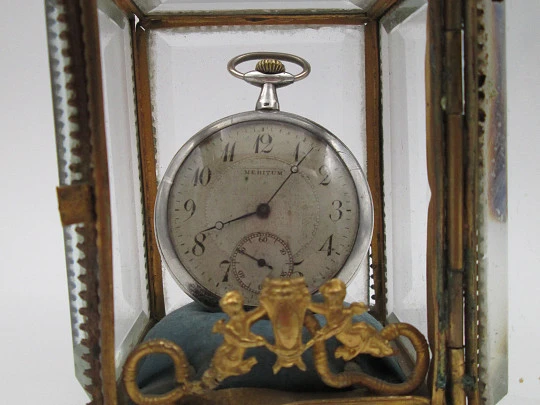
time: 8:06
